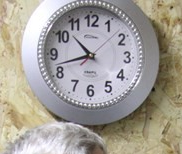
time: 10:42
